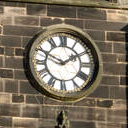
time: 1:49
